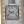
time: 9:41
